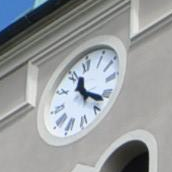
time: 11:21
